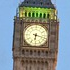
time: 6:17
